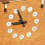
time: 8:56
